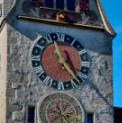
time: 11:23
